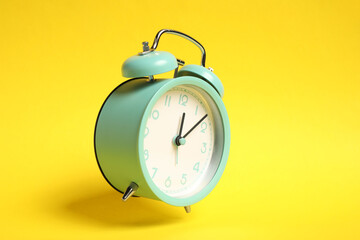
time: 12:08
